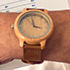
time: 3:58
